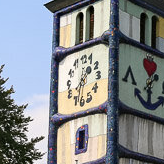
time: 1:32
